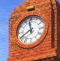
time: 11:40
